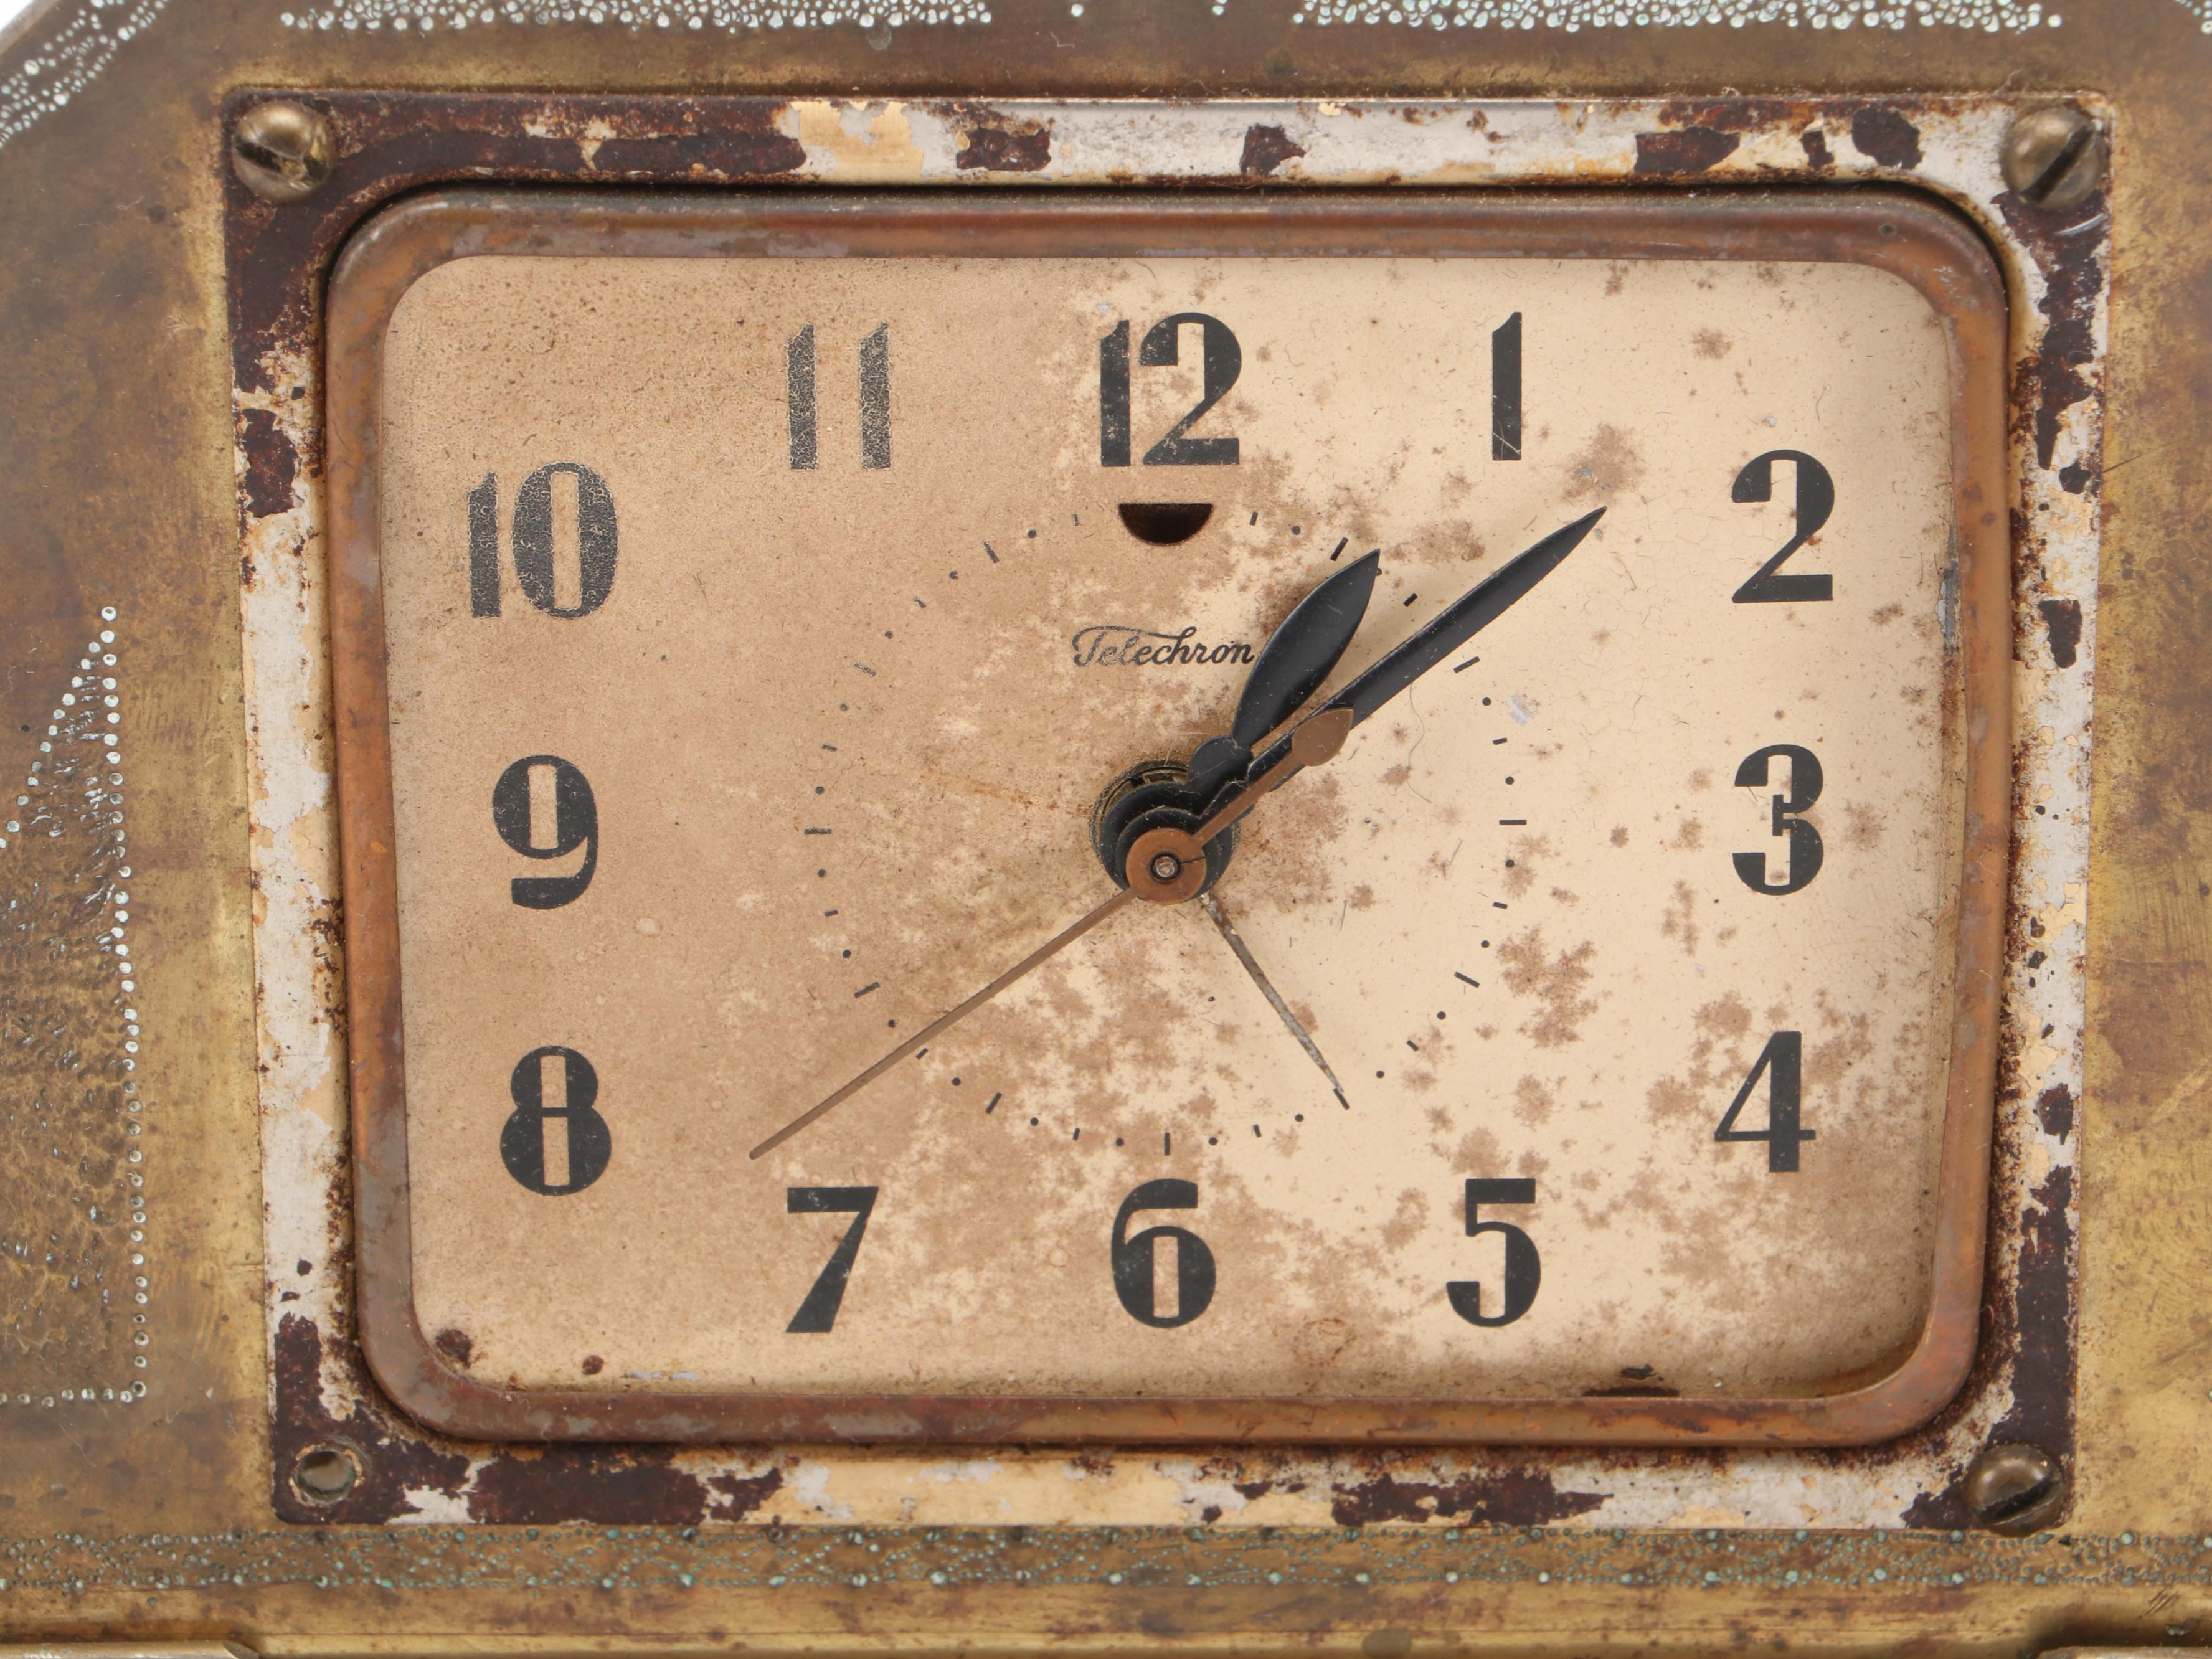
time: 1:08
